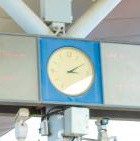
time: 3:10
